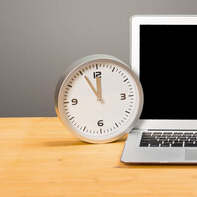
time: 11:55
